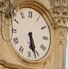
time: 5:26
